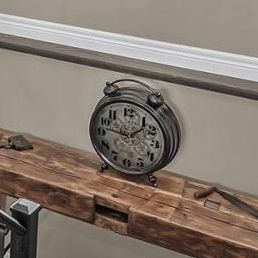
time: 1:46
